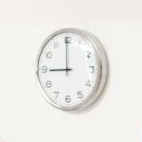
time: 8:59
